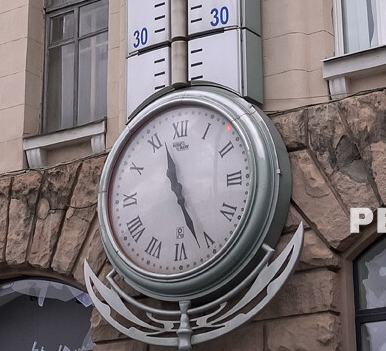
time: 11:26
